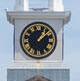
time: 1:08
